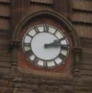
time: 2:14
